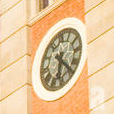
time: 6:23
